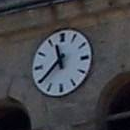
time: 11:38
